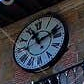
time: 11:12
